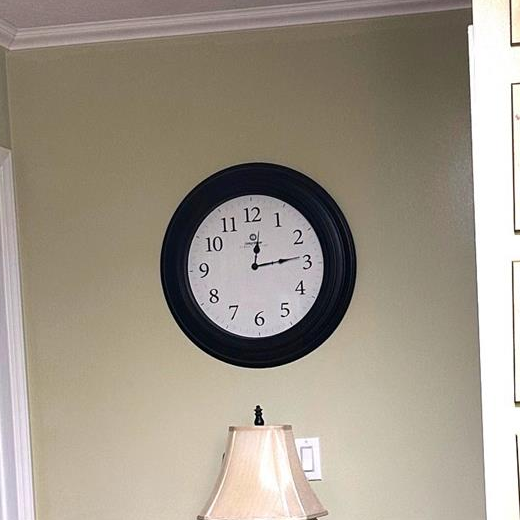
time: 12:13
